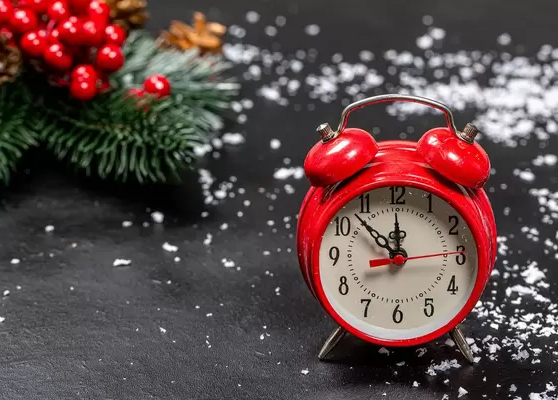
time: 11:52
